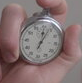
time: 12:03
